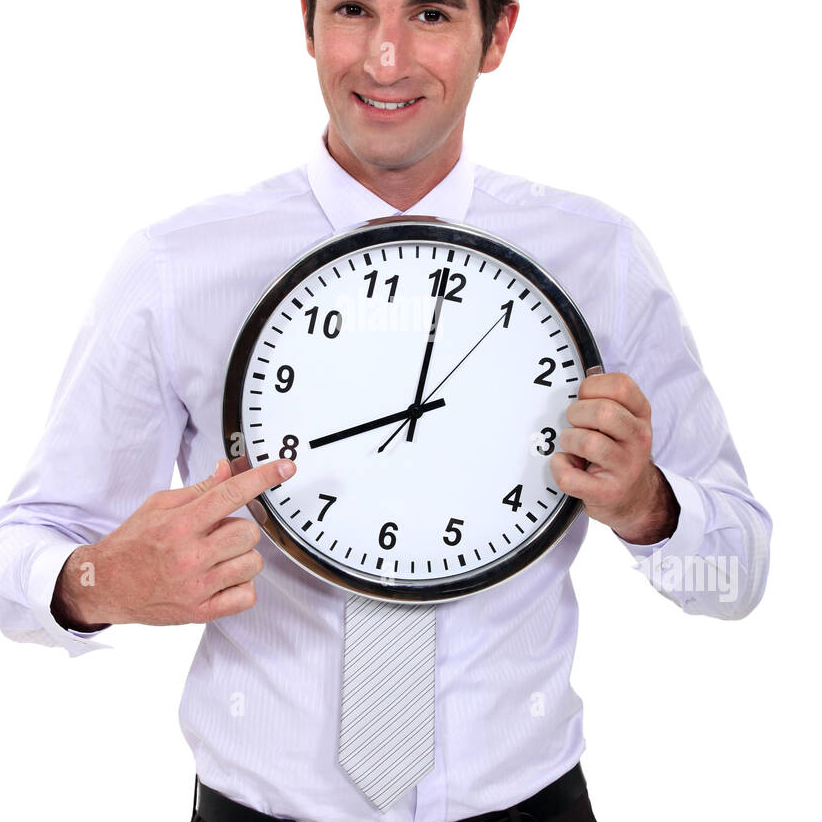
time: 7:59
